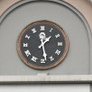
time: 1:28
